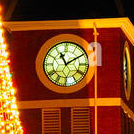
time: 11:09
